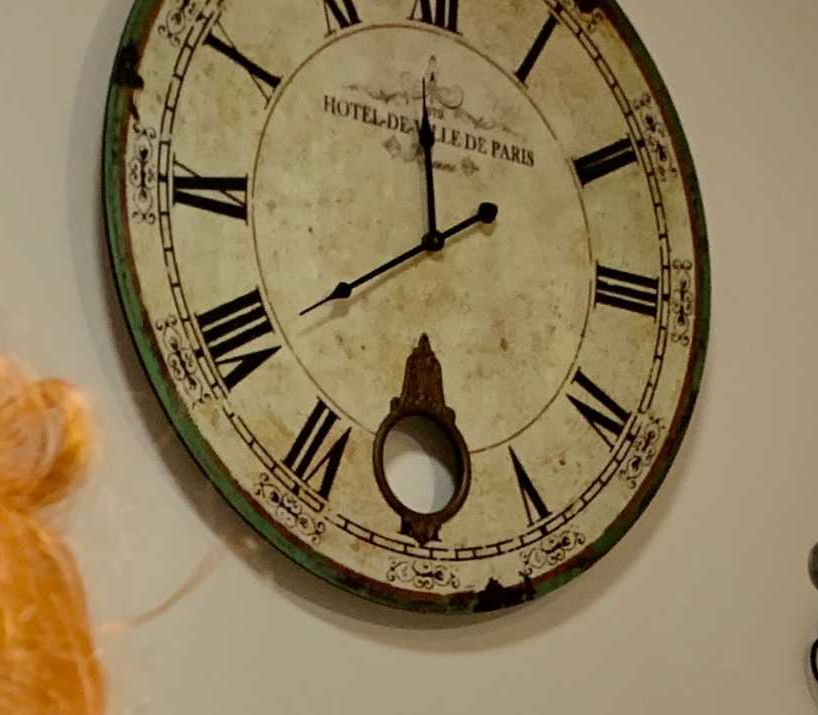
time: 11:39
